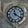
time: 11:20
